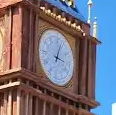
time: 3:02
